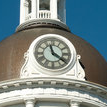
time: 11:21
